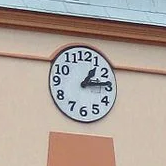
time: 1:13
